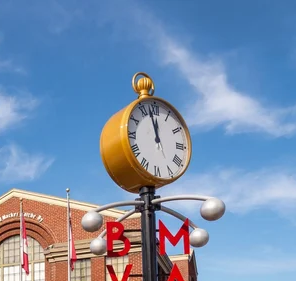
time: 11:57
